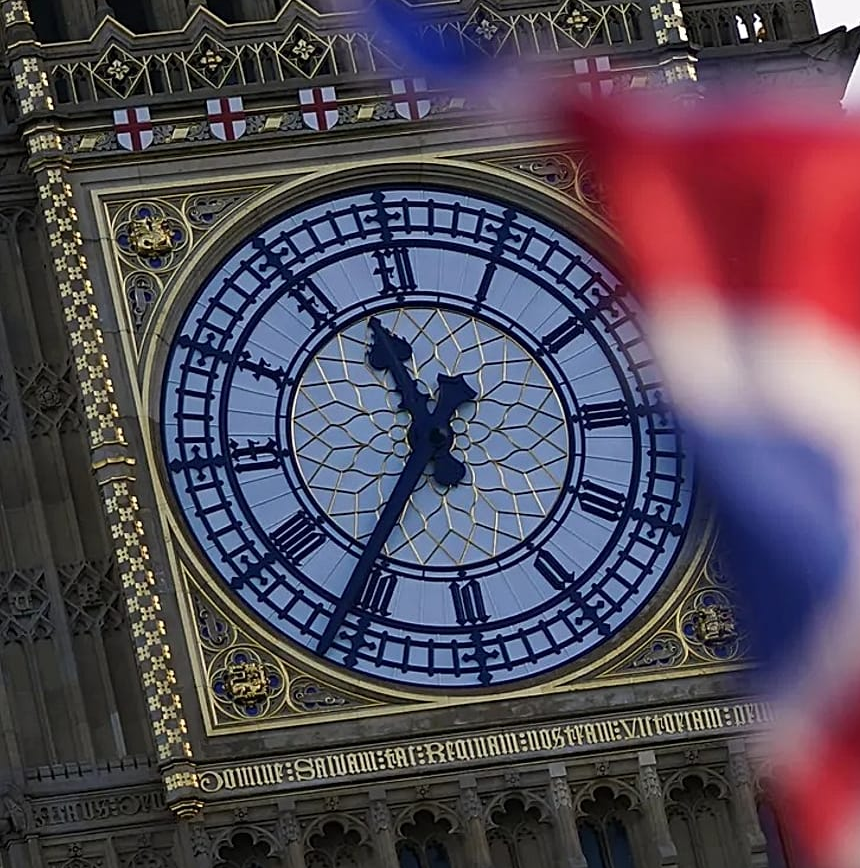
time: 11:35
